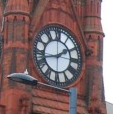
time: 1:42
